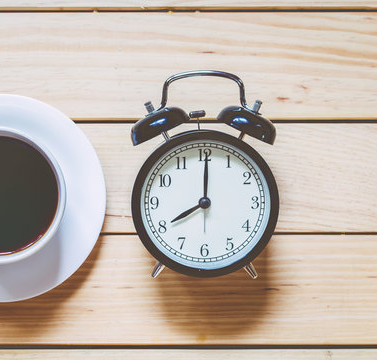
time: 8:00
